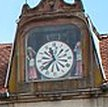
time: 11:37
